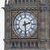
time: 2:29
